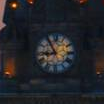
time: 8:54
